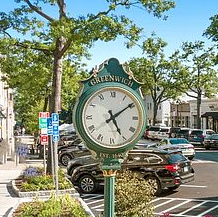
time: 5:09
